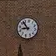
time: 8:52
